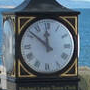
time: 11:51
